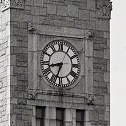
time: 8:33
